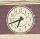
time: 6:41
